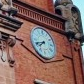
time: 7:41
